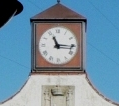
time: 11:14
